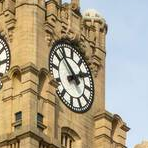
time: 1:52
